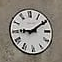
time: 9:09
